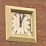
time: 12:03
